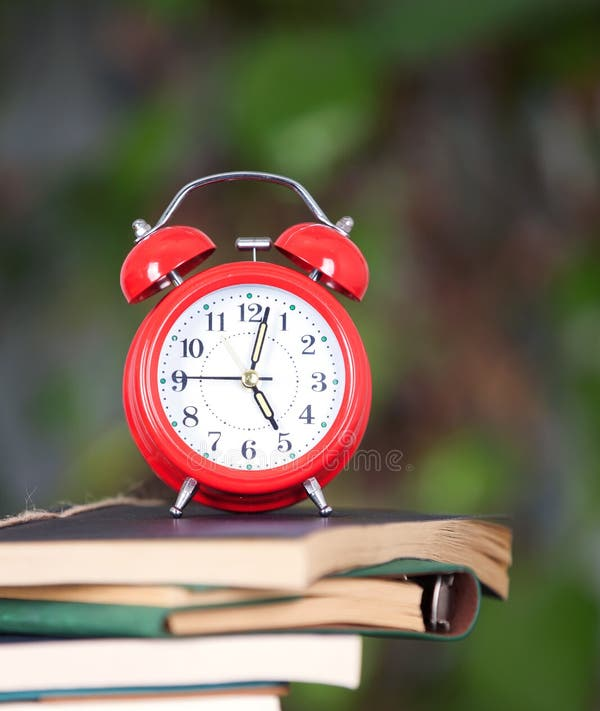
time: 5:02
